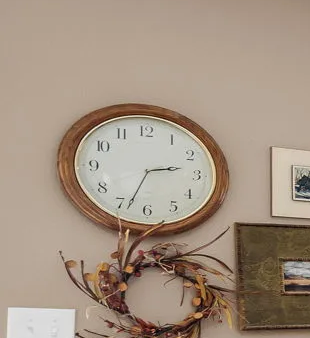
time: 2:33
